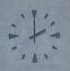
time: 2:00
